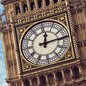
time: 12:14
